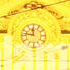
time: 11:46
